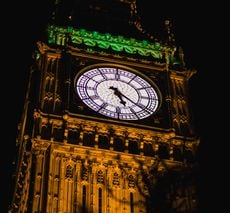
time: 5:21
